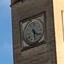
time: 4:28
